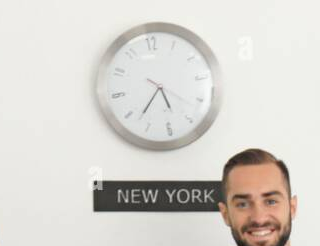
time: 5:37
